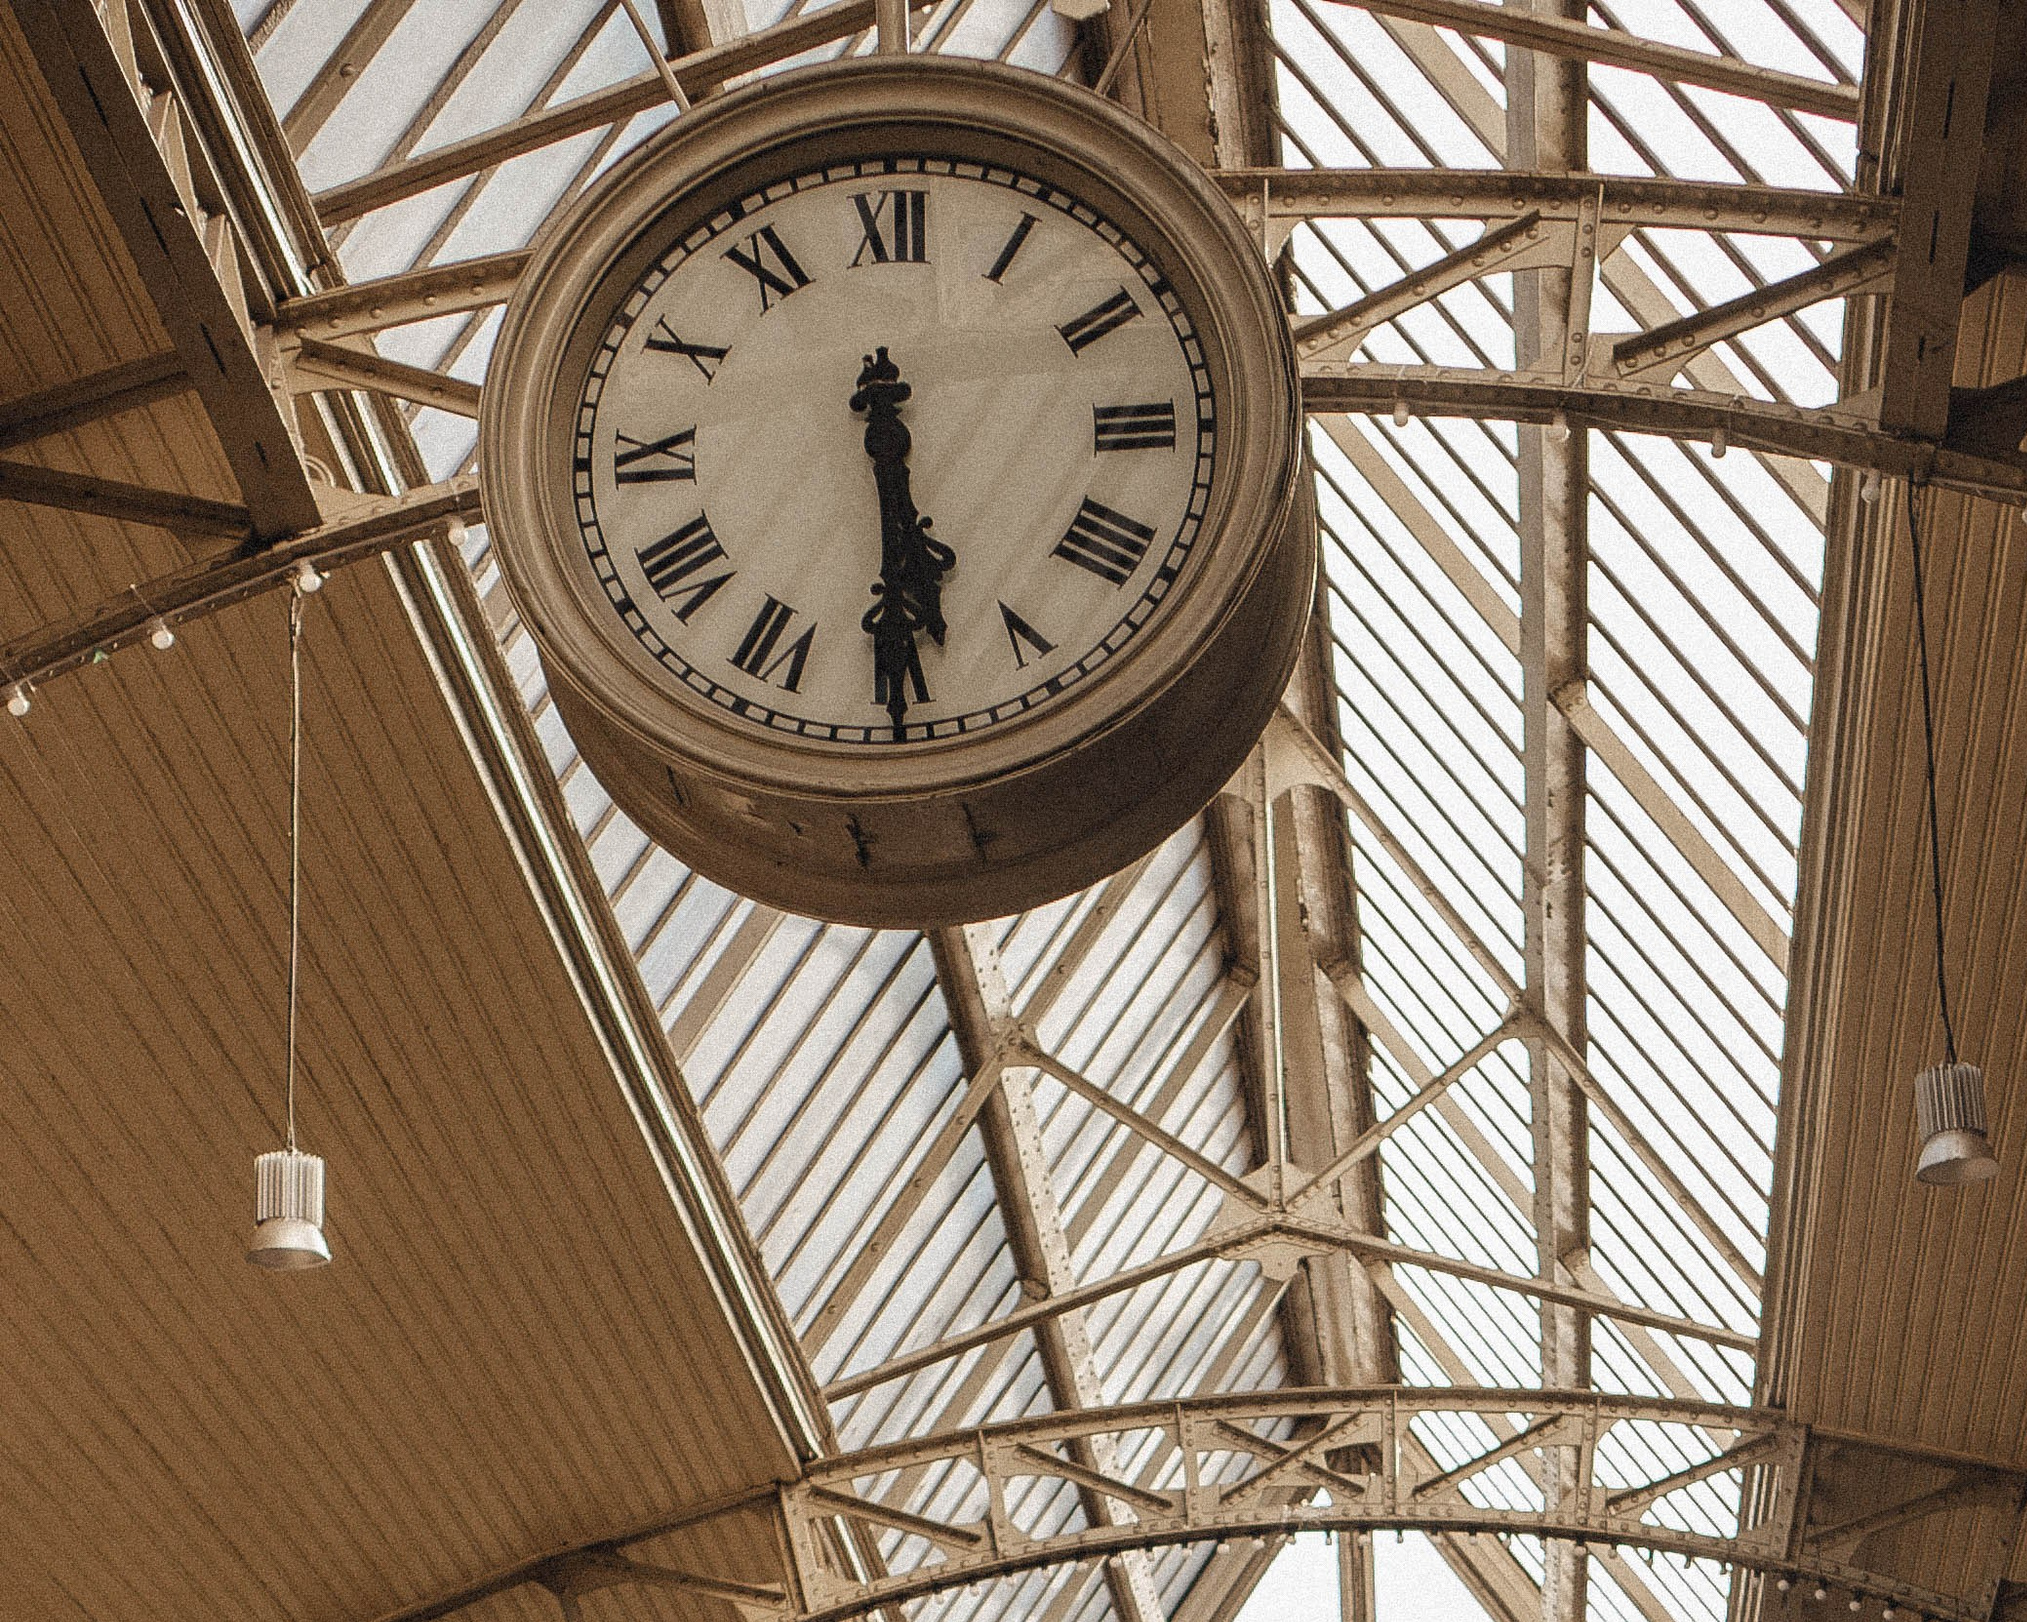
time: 5:29
